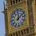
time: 12:07
